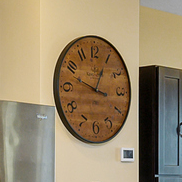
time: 12:48
